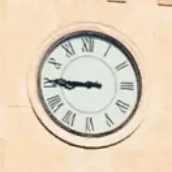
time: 8:45
